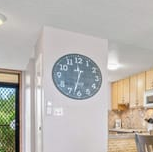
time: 11:32
